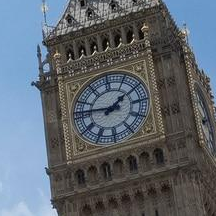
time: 1:46
